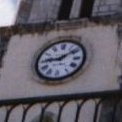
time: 9:08
